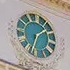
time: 1:33
